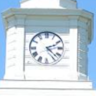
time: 2:22
